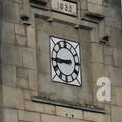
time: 8:45
